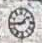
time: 1:44
